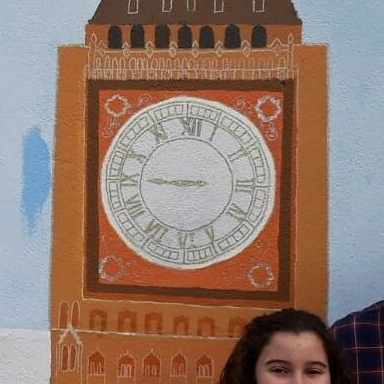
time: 8:45
